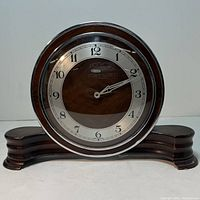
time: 2:11
